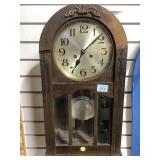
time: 7:08
